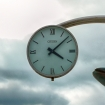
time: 4:07
